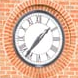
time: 1:36
